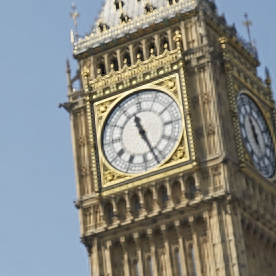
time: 11:26
